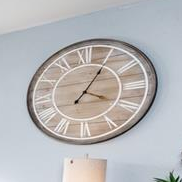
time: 4:05
